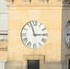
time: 2:57
